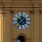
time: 1:36
